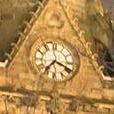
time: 7:18
